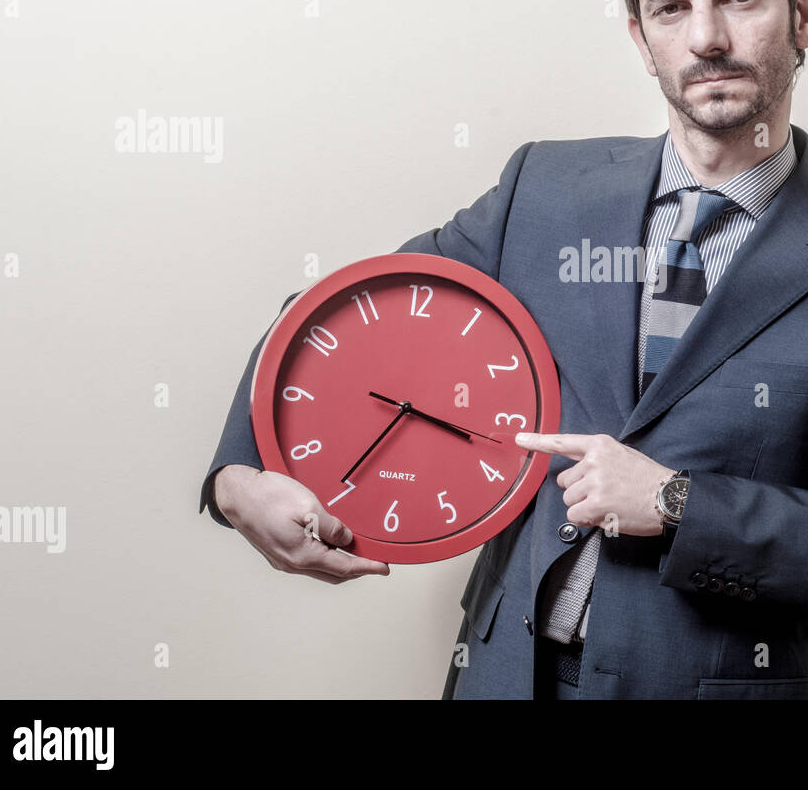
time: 3:35
